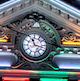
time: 11:17
